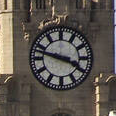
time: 3:47
